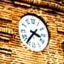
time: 3:36
